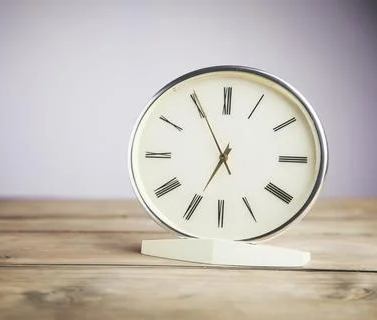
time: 6:55
